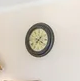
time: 7:20
